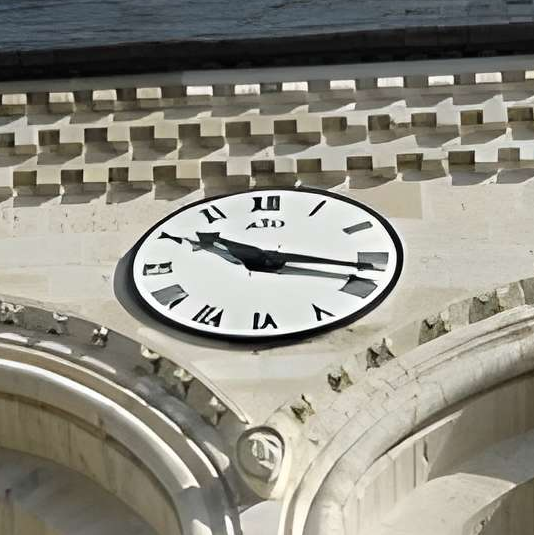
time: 10:17
